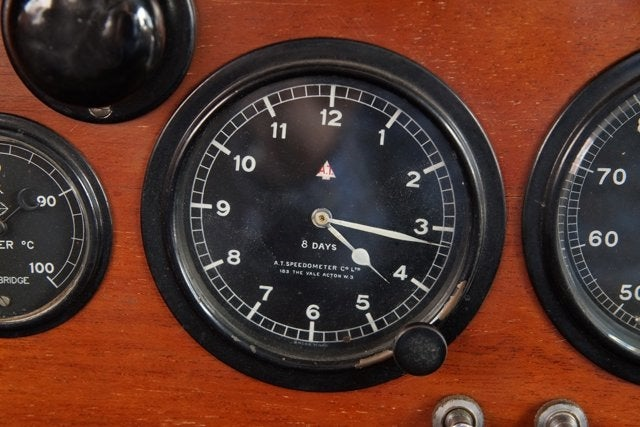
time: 4:16
